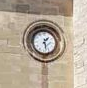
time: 1:28
